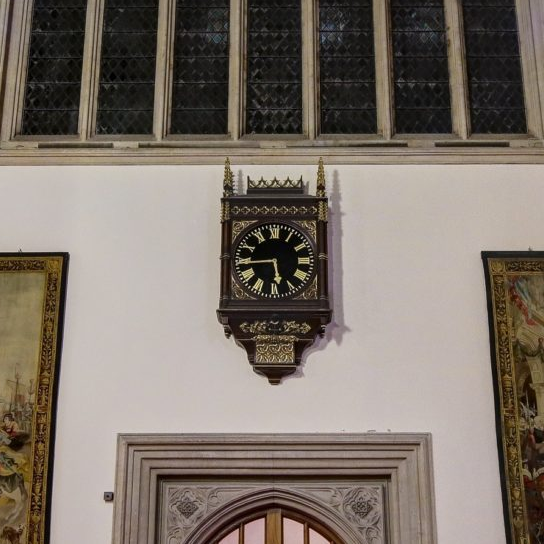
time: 5:44
